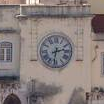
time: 2:31
